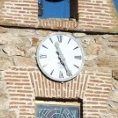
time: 11:25
